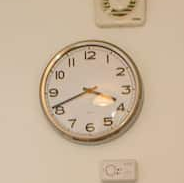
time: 3:41
